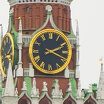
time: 2:18
